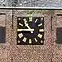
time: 10:45
